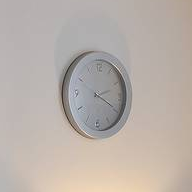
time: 2:19
